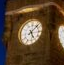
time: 5:07
